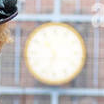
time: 10:32
